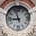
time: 8:56
